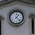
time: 1:22
